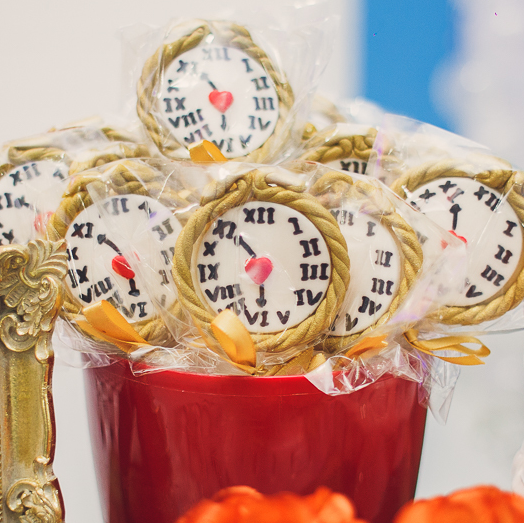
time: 5:54
